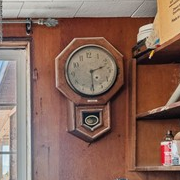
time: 2:29
